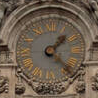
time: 1:22
